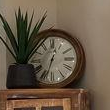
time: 12:32
